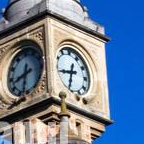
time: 8:32
